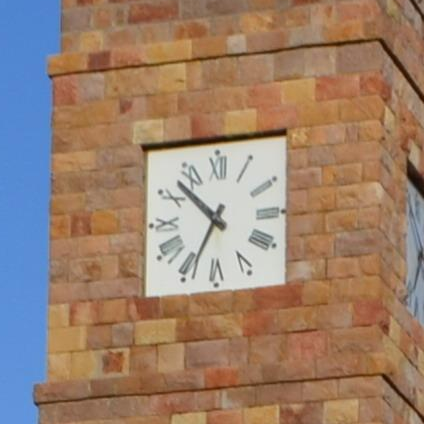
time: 10:34
